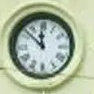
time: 11:52
